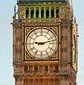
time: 9:12
